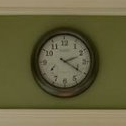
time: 2:20
